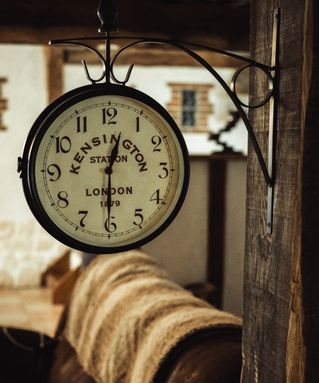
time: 12:30
